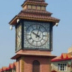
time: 10:02
